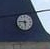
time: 5:46
